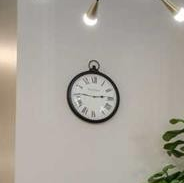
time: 2:45
